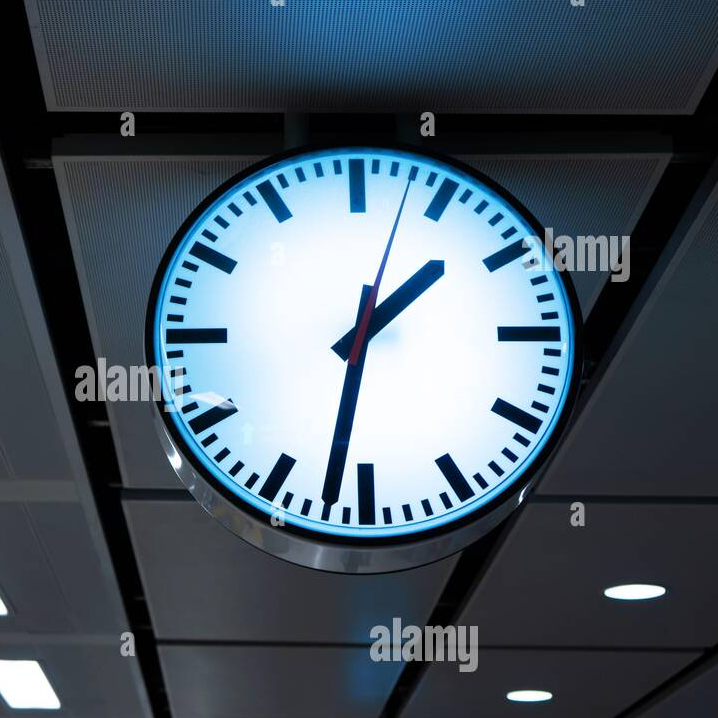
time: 1:32
